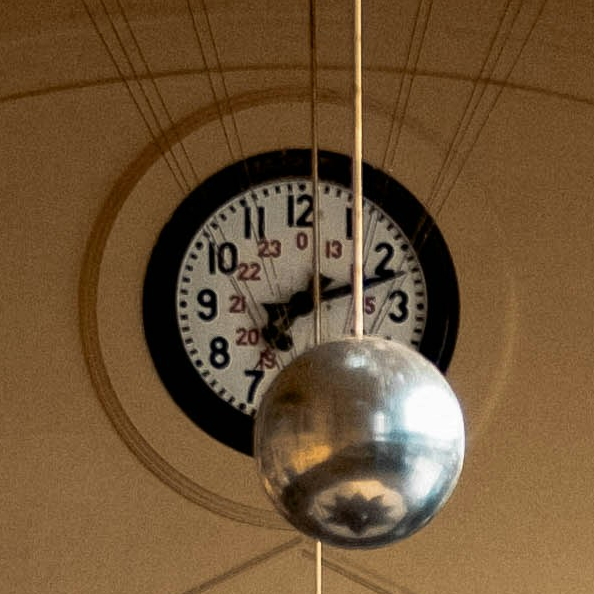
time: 7:11
